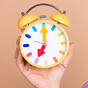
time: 7:00
